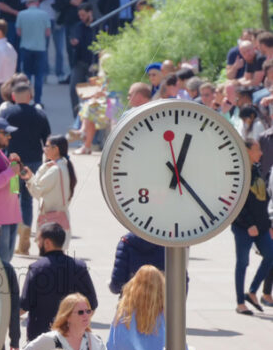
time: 12:23
